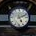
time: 5:11
